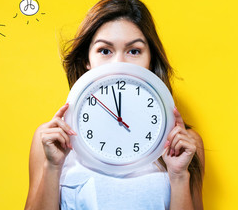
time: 11:57
